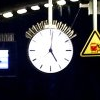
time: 5:01
